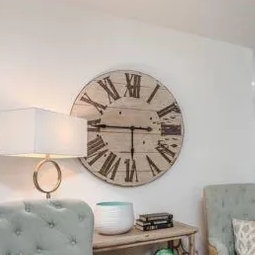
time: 5:45
